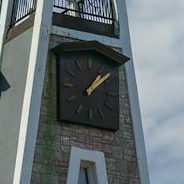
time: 1:08
